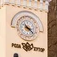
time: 4:22
